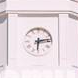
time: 6:13
